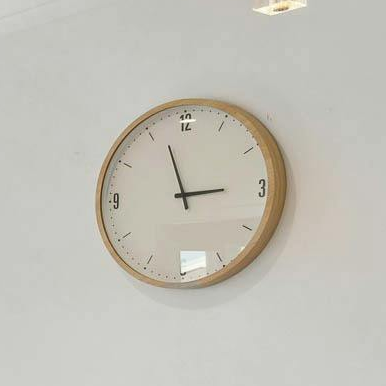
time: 2:56
